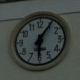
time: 6:05
